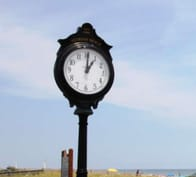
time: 1:01
